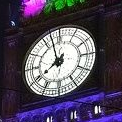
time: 7:57
